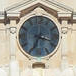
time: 3:34
